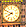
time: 7:49
